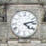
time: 4:12
